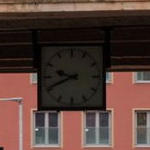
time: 9:41
